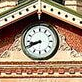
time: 8:41
